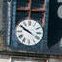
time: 9:50
